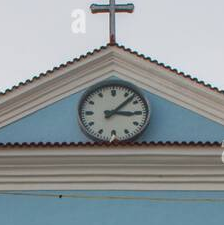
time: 3:07
